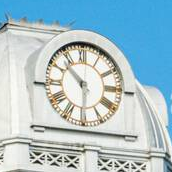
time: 10:30
